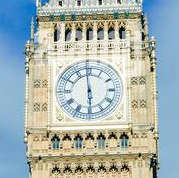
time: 5:58
